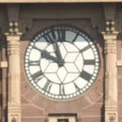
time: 9:57
